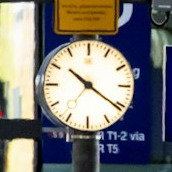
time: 10:20
